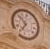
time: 6:52
